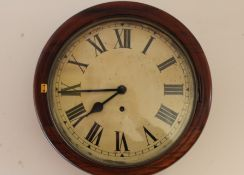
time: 7:44
